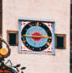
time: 2:44
